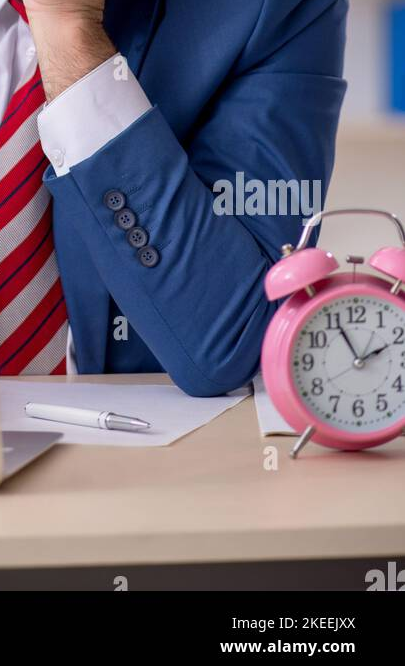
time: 1:55
